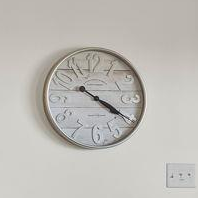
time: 4:20
